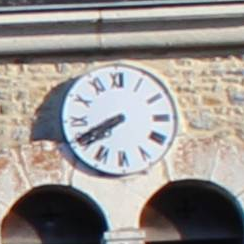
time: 7:40
